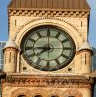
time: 7:44
